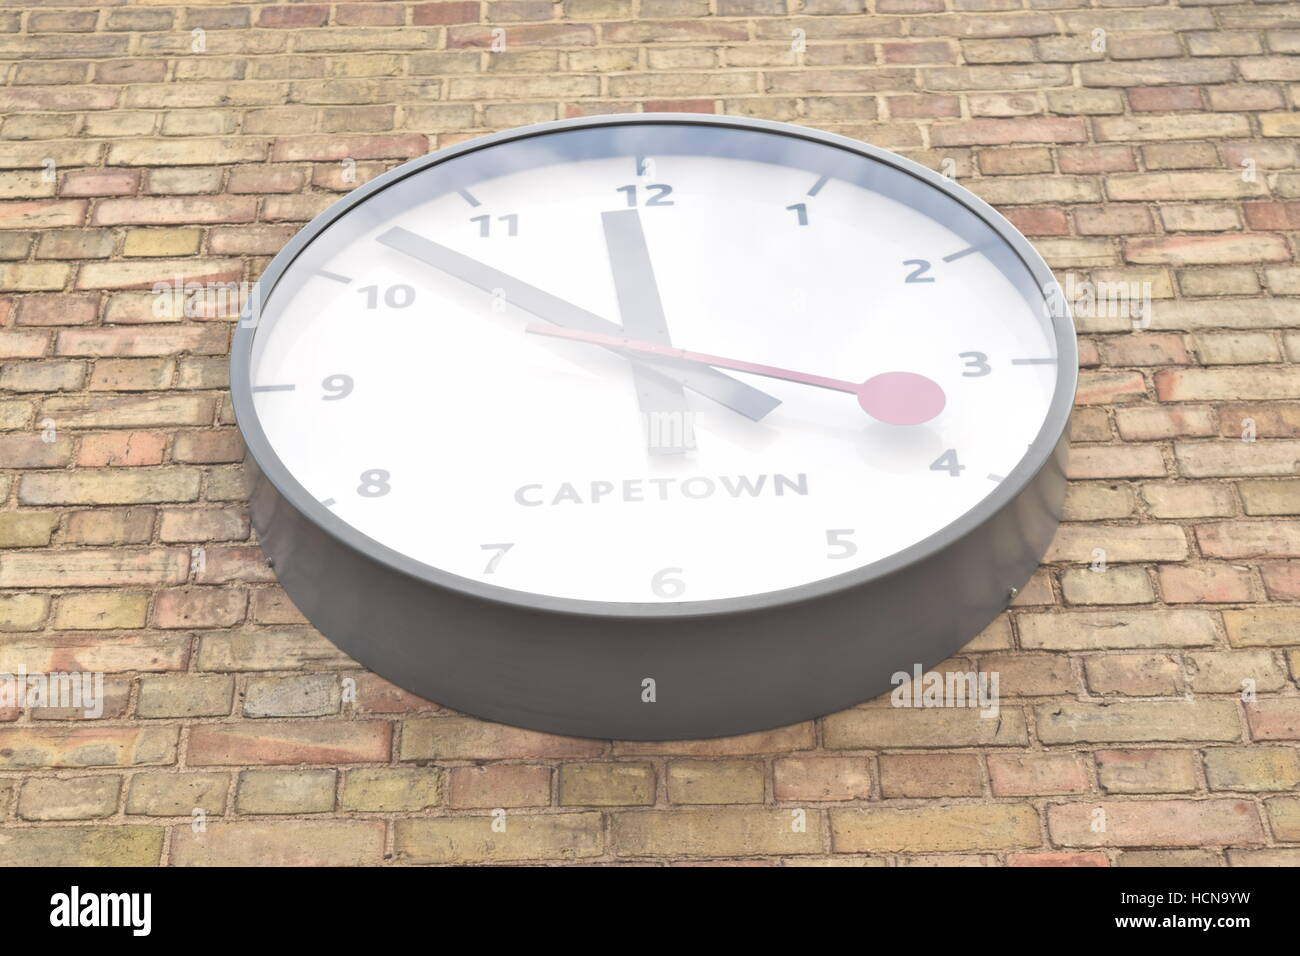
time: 3:52
